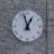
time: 12:57
